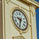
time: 9:33
